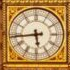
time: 5:43
